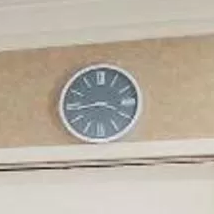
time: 3:43
